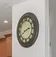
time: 2:40
